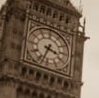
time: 3:33
